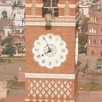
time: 7:55
